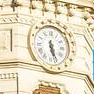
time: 5:26
